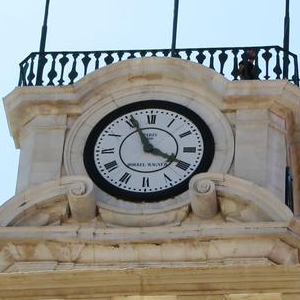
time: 3:55
